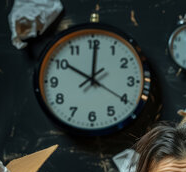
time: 10:00
